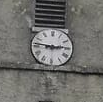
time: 2:46
